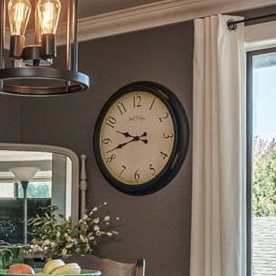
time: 9:42
